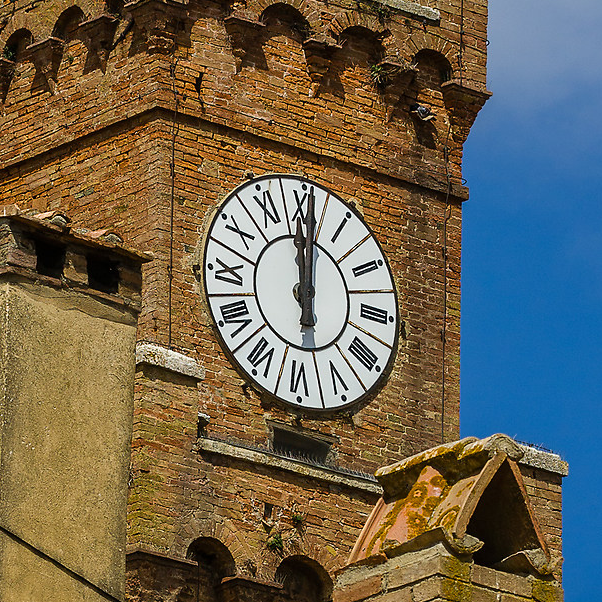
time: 11:58
